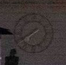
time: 7:40
